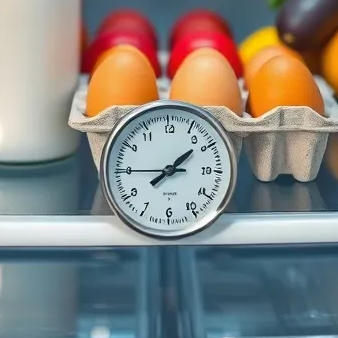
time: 1:45
